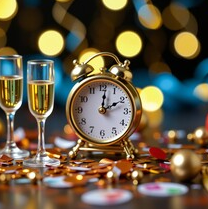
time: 2:01
